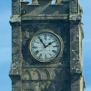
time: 1:54
